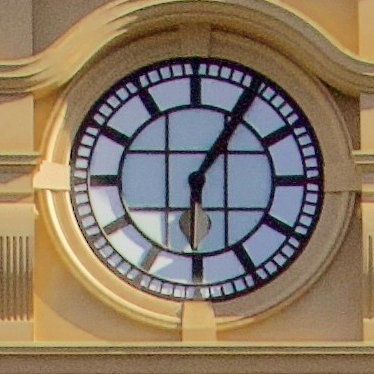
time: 6:05
